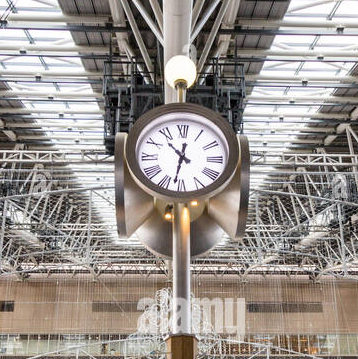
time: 10:32
